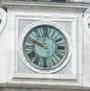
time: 9:48
